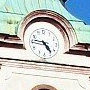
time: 4:46
